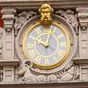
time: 10:02
